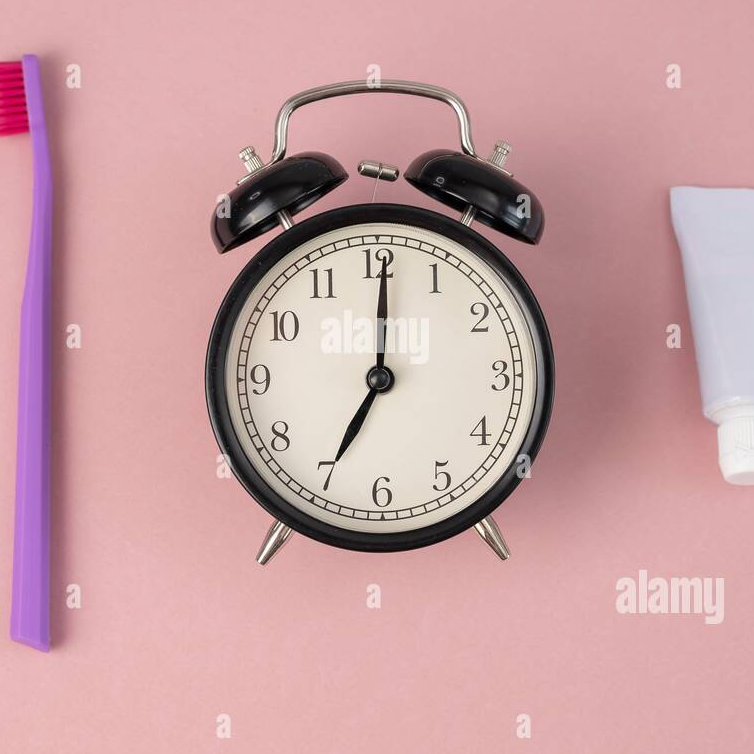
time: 7:00
